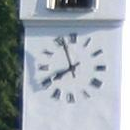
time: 7:56
